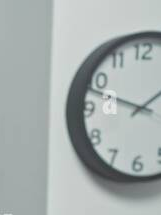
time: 1:47
